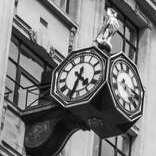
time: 4:33
